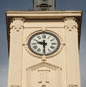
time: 9:29
